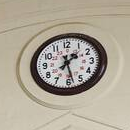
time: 1:28
